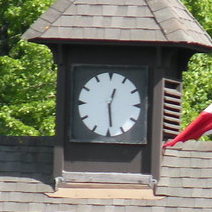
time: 12:28
